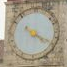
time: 4:20
